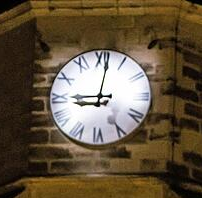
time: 9:01
